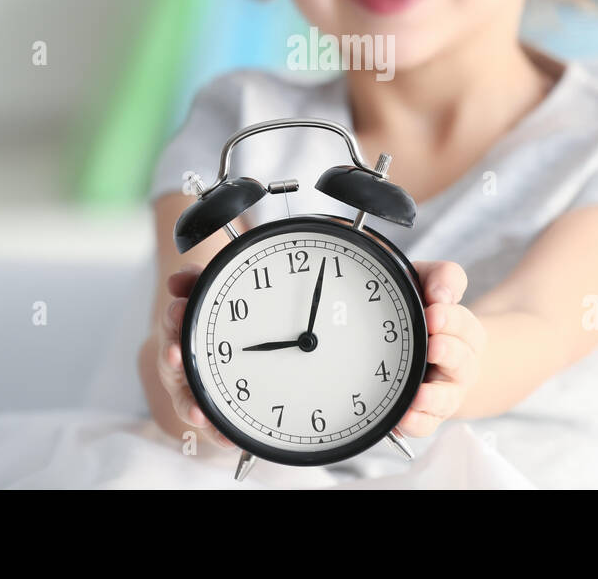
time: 9:03
